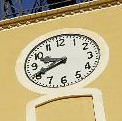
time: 9:41
